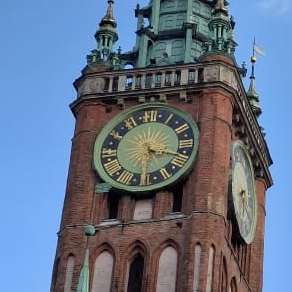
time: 4:17
